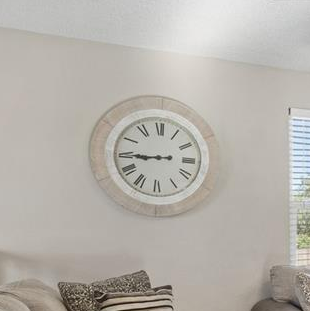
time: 8:44
